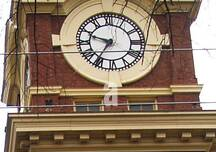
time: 9:35
